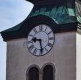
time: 9:28
